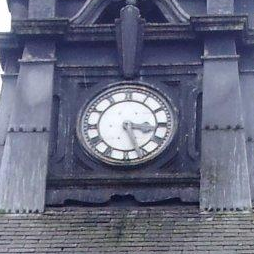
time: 3:26
